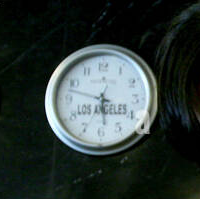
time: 5:47
